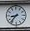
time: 8:37
